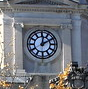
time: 12:10
